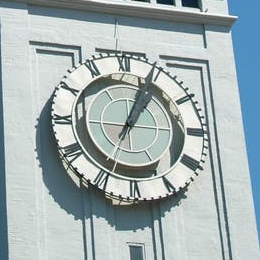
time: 1:04
